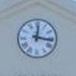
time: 12:16
